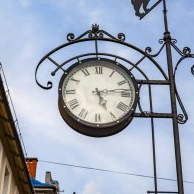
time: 5:13
